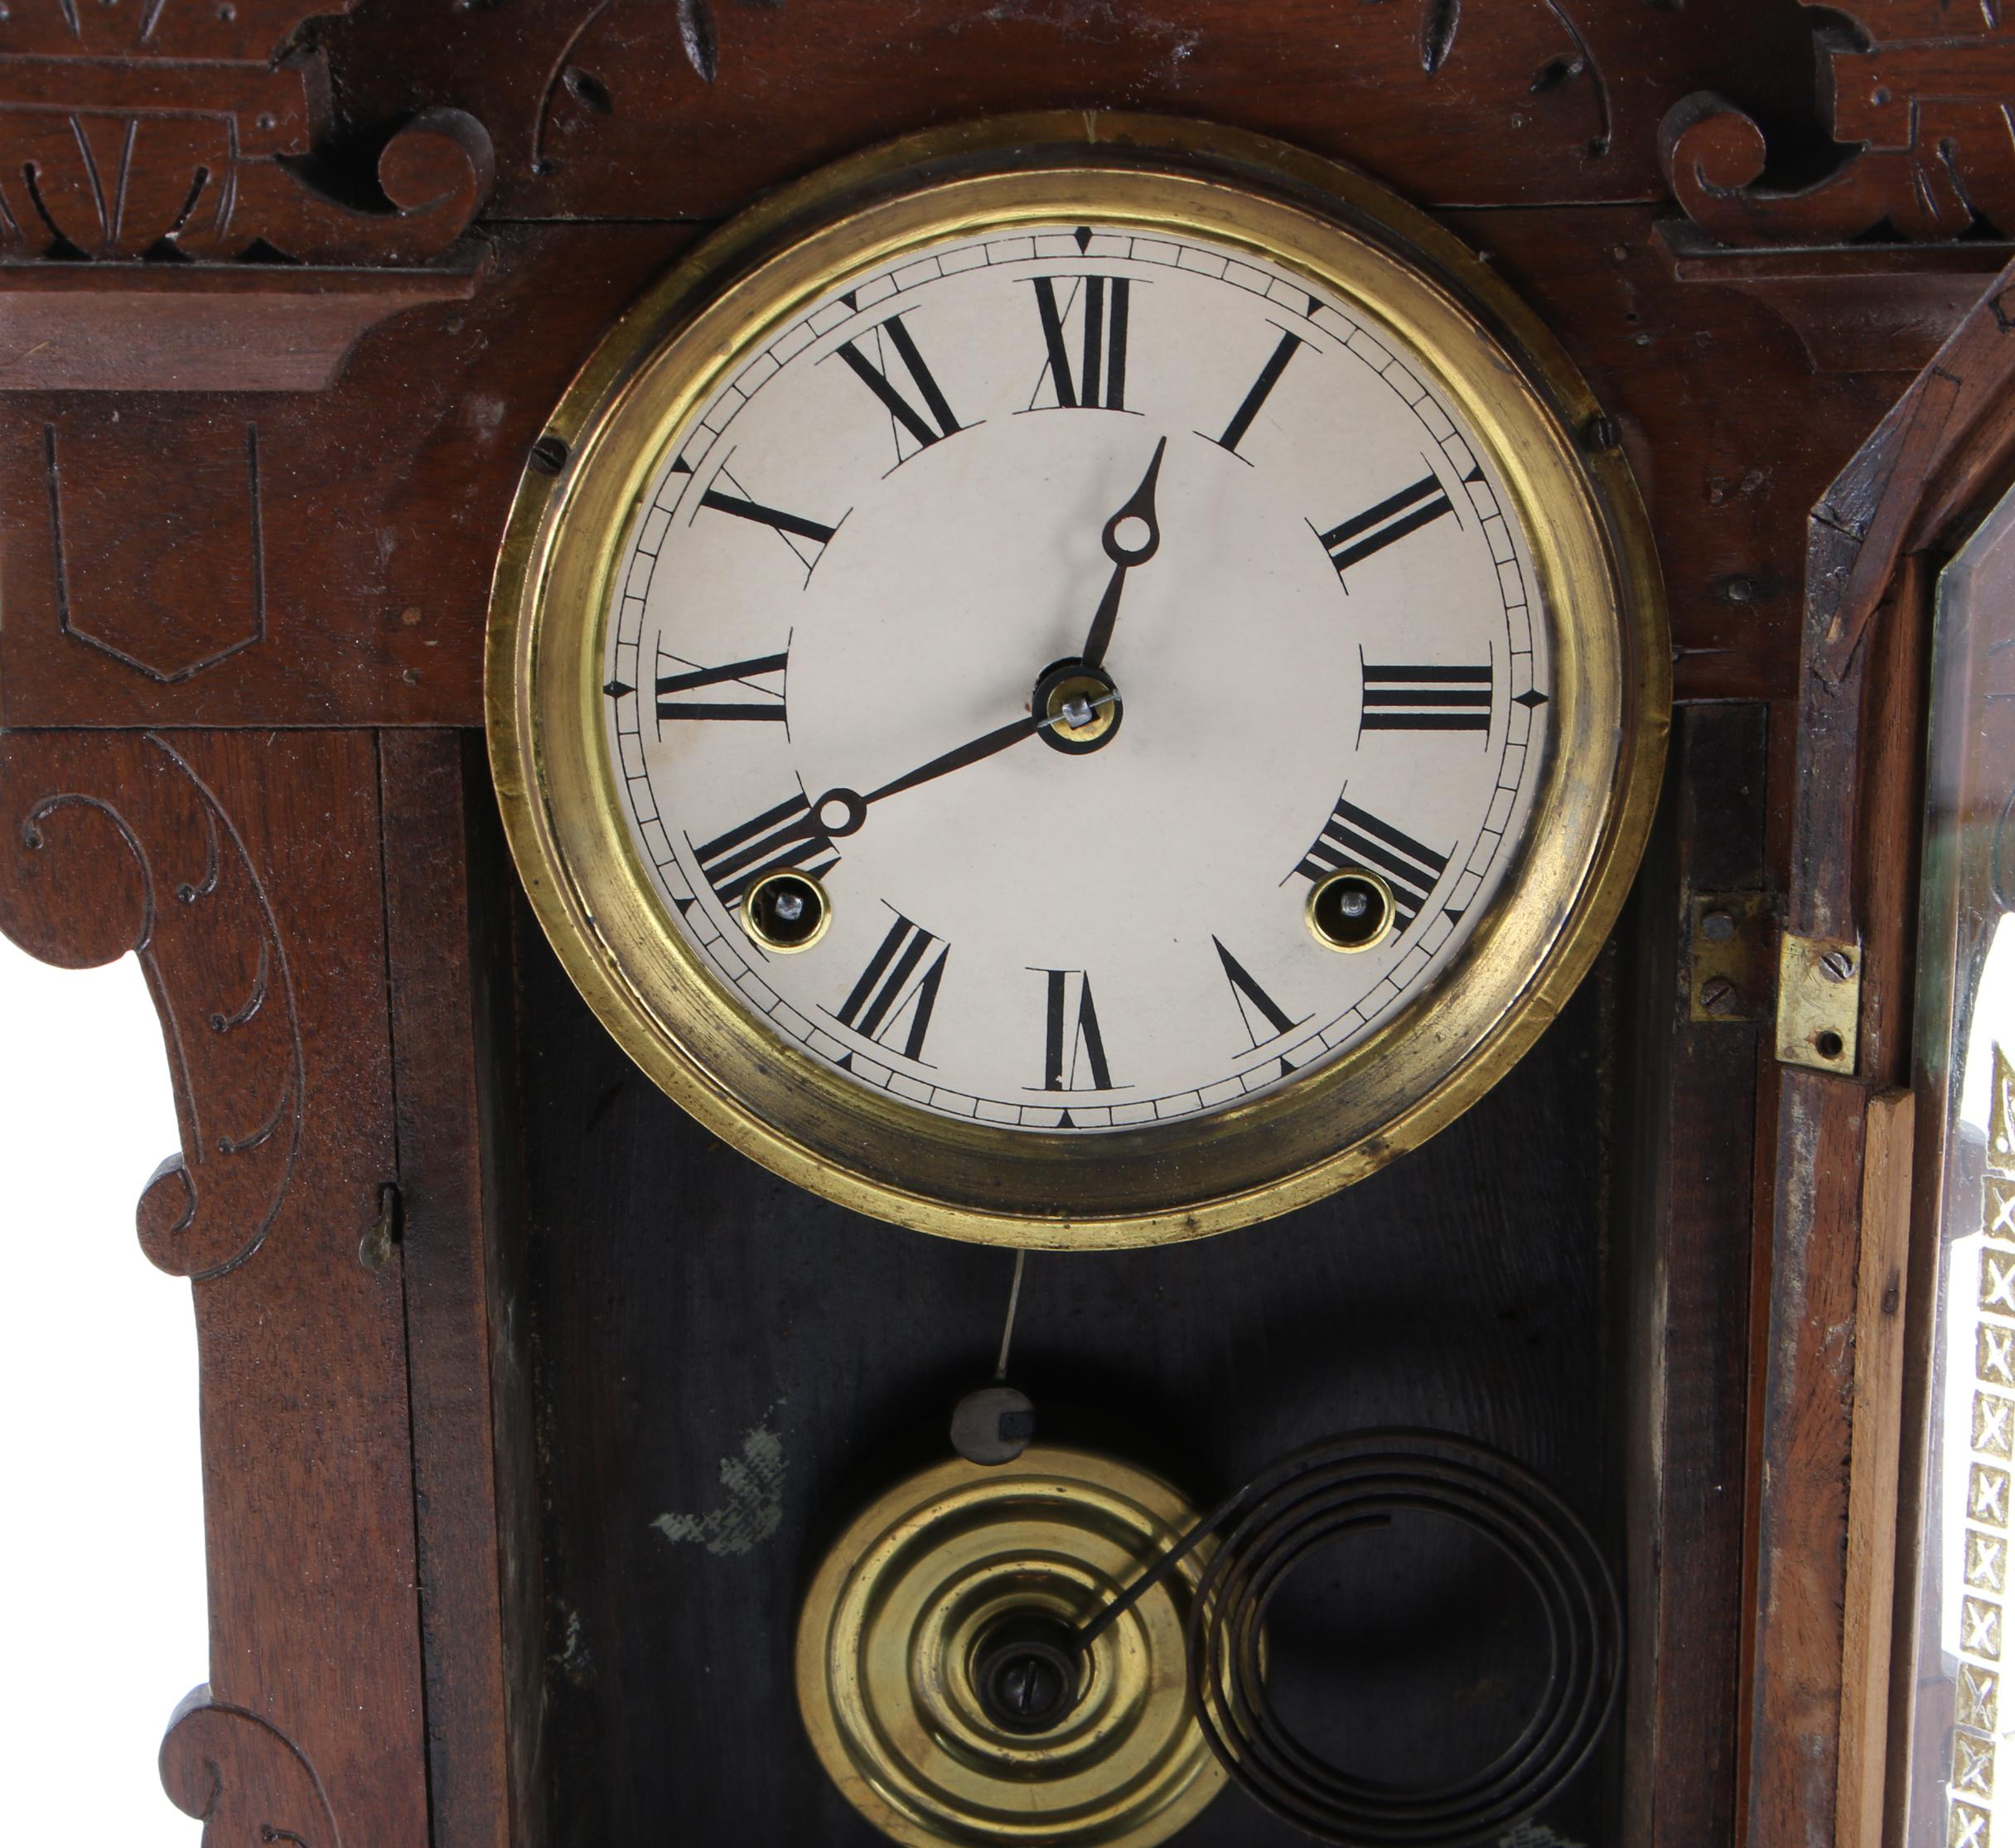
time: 12:40
